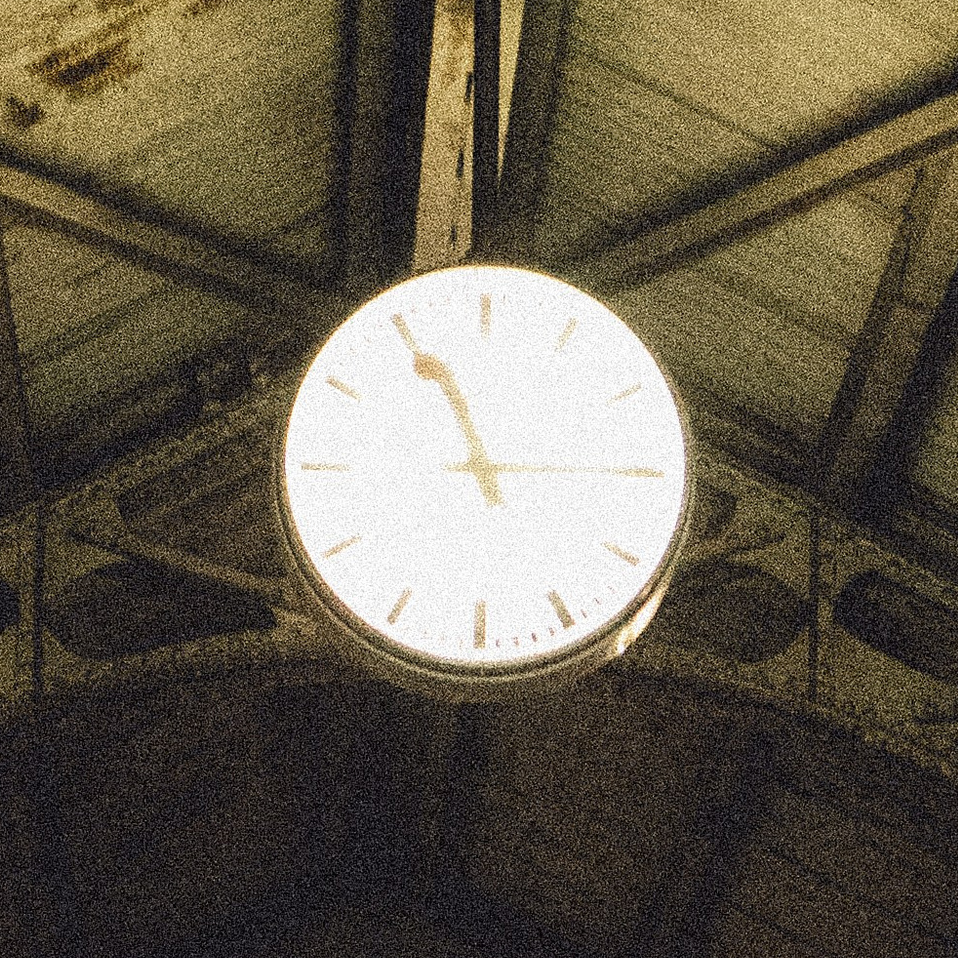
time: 2:55
